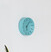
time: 6:06
